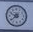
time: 9:38
